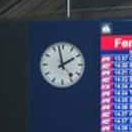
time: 1:57
